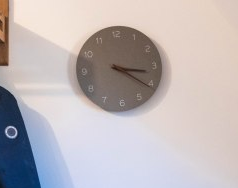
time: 3:20
